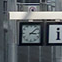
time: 3:07
